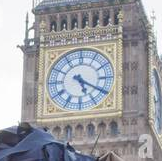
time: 5:19
